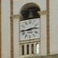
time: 2:43
